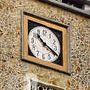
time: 10:19
